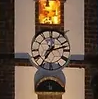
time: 7:12
